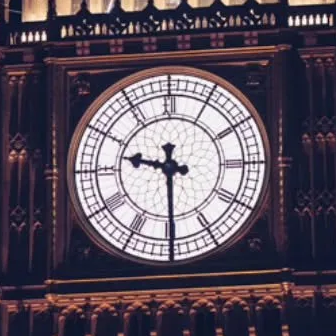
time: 9:29
